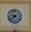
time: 9:39
